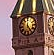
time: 12:24
